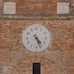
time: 4:26
